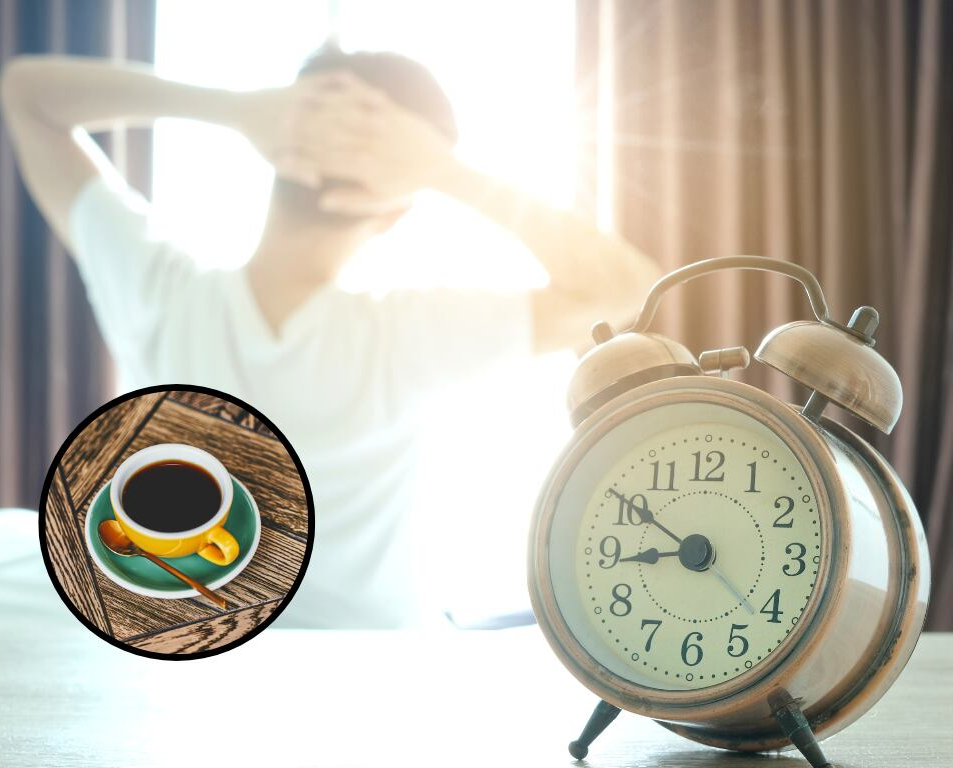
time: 8:50
